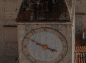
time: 3:50
